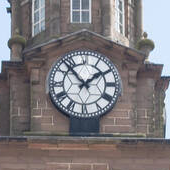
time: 1:53
